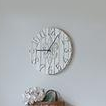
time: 9:05
